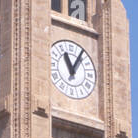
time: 11:05
